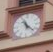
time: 11:22
